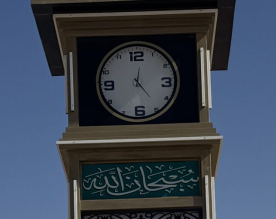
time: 12:23
